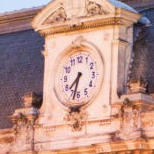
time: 7:32
